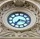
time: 7:17
